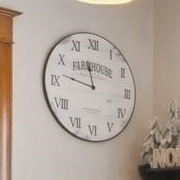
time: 11:46
